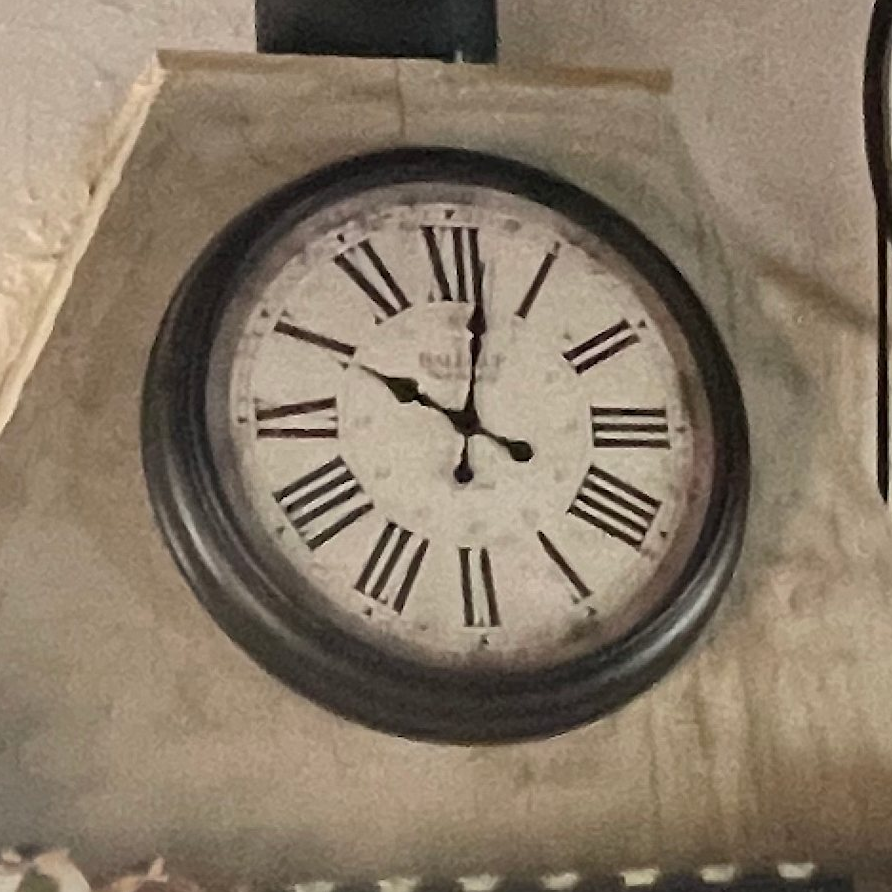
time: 10:01
